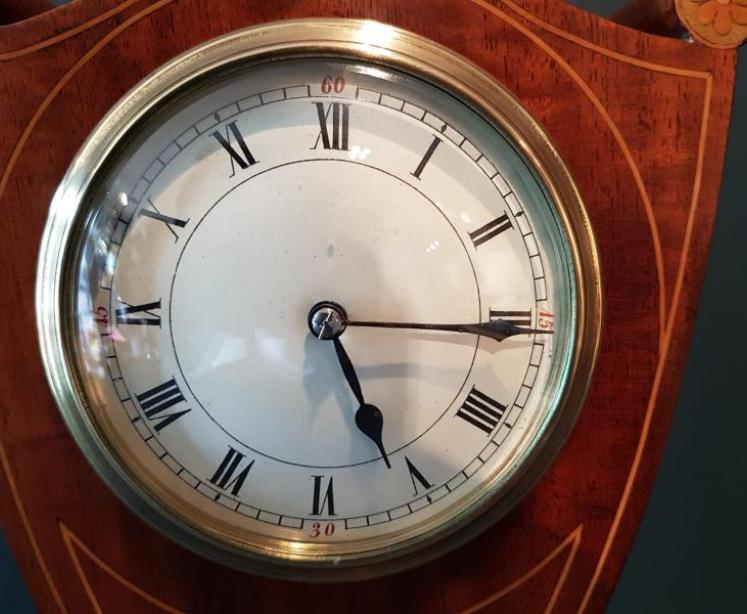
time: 5:15
